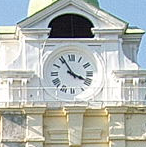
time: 3:55
